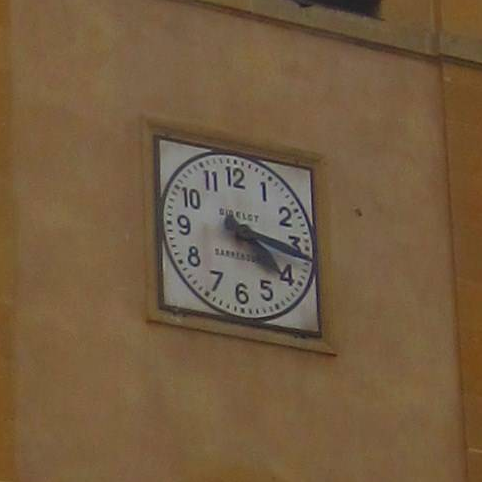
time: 4:16
